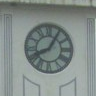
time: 8:05
